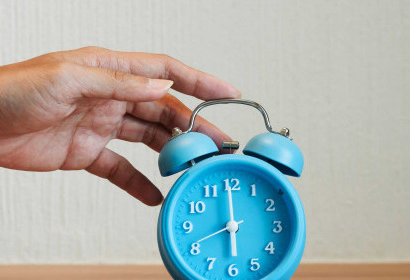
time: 5:59
